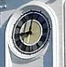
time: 9:01
